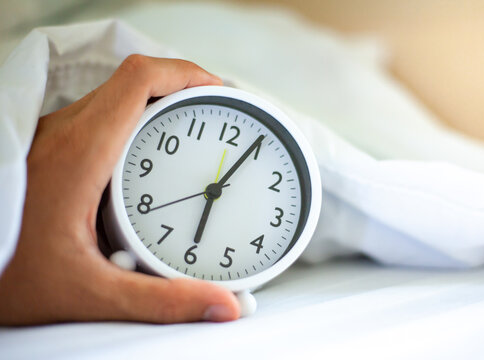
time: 6:04
